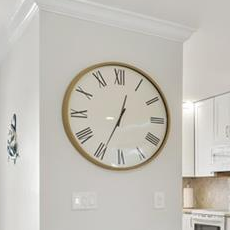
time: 12:34
